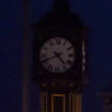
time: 4:40
